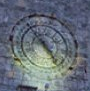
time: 4:52
